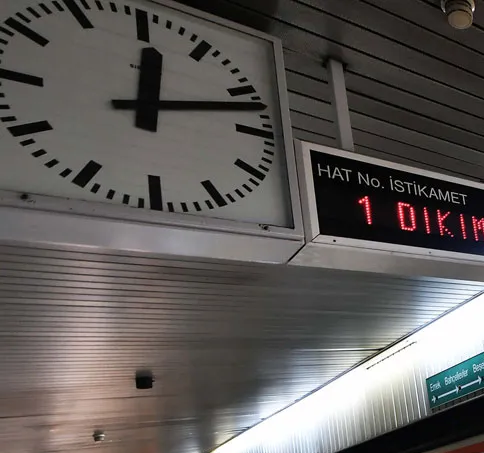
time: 12:12
